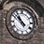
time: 10:52
